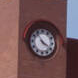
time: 3:53
